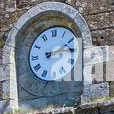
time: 2:14
